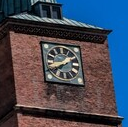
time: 1:39
